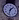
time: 1:32
